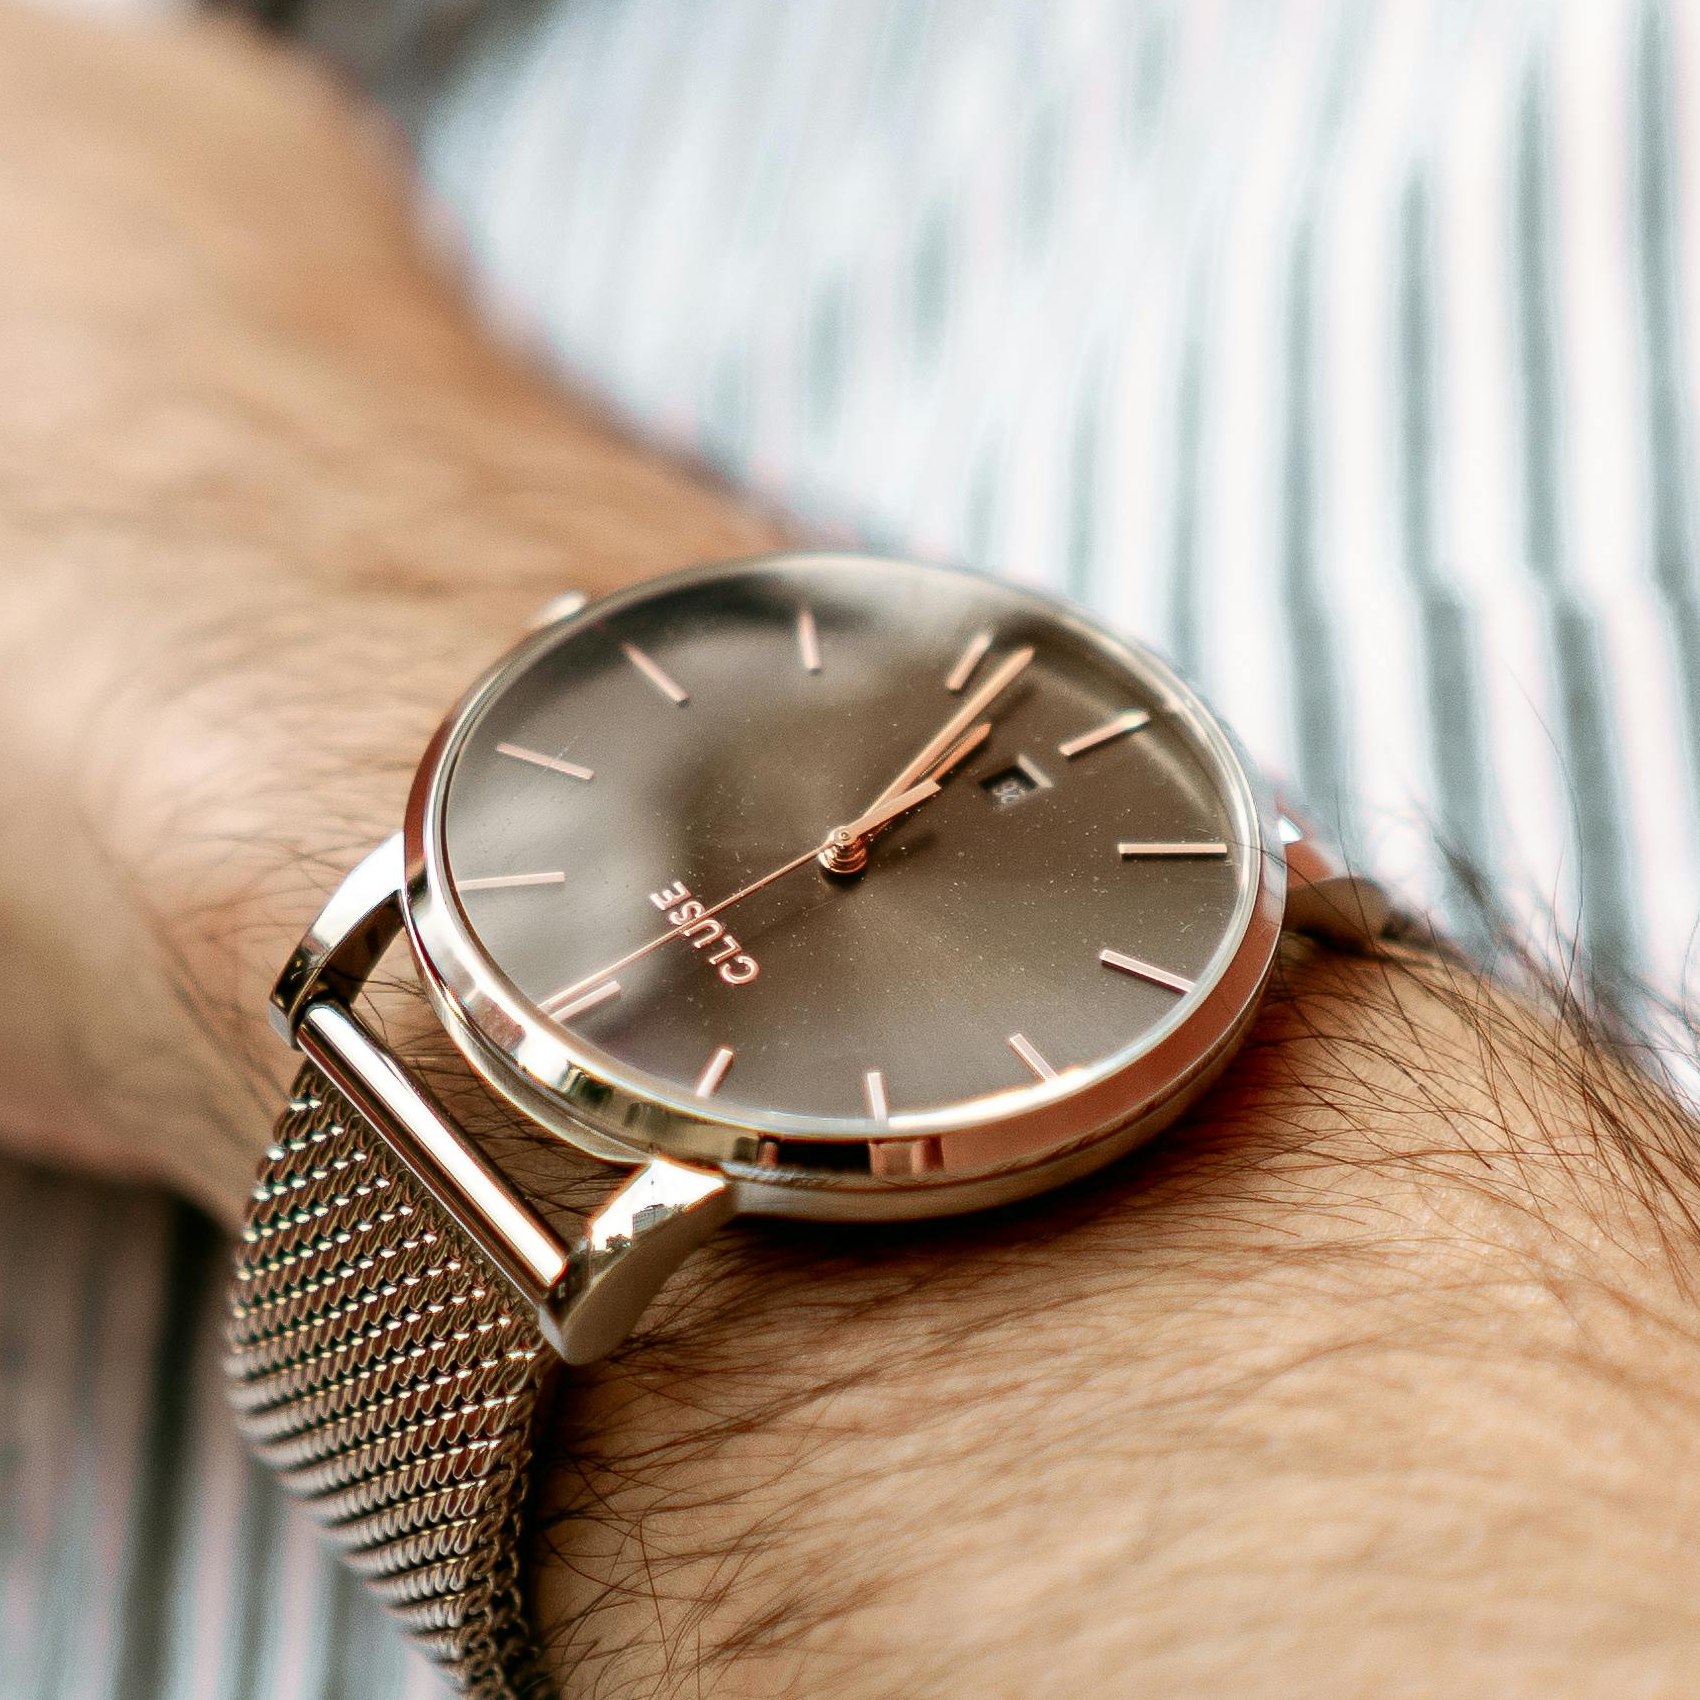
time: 2:07
